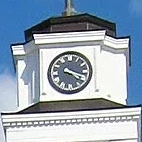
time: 4:17
